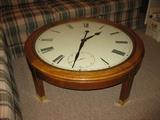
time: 1:31
